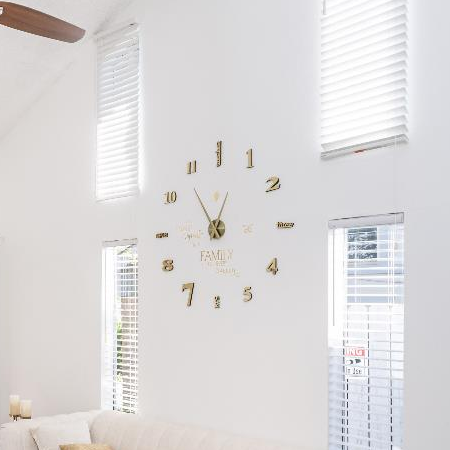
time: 12:54
